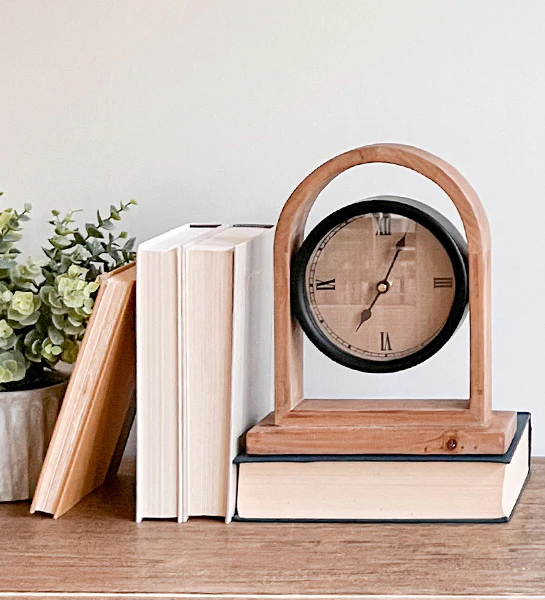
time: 7:04
